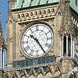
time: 10:24
